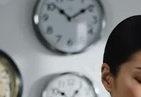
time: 1:51
